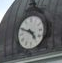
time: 4:48
